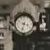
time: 3:32
